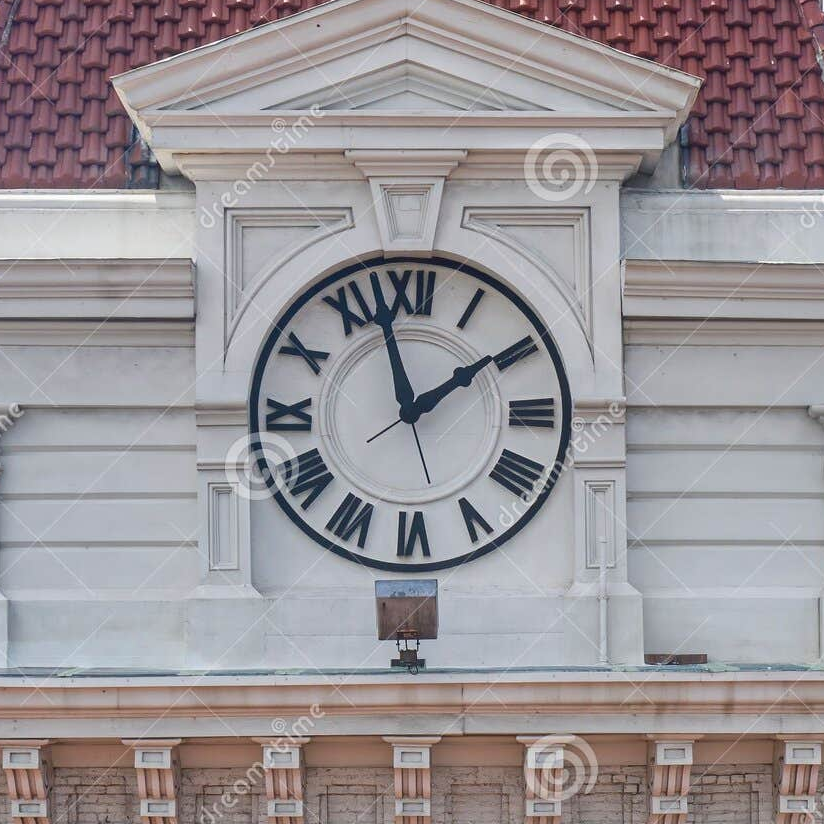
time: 1:57
